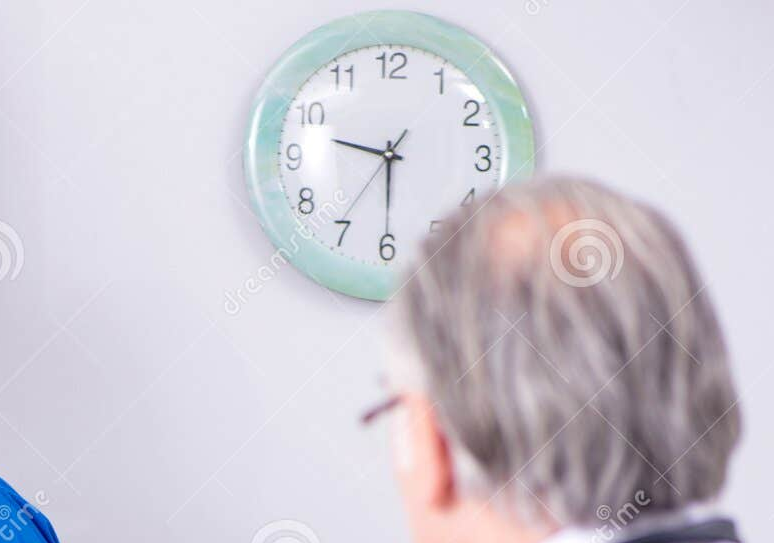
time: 9:30
